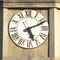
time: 5:10
